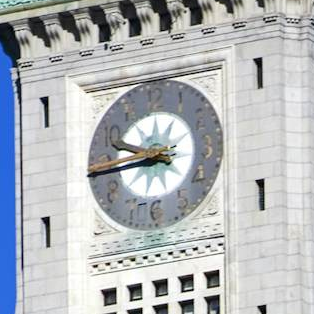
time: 9:43
